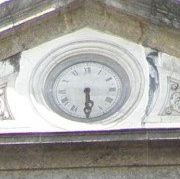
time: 5:29
